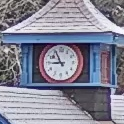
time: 8:55
